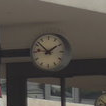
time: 1:51
